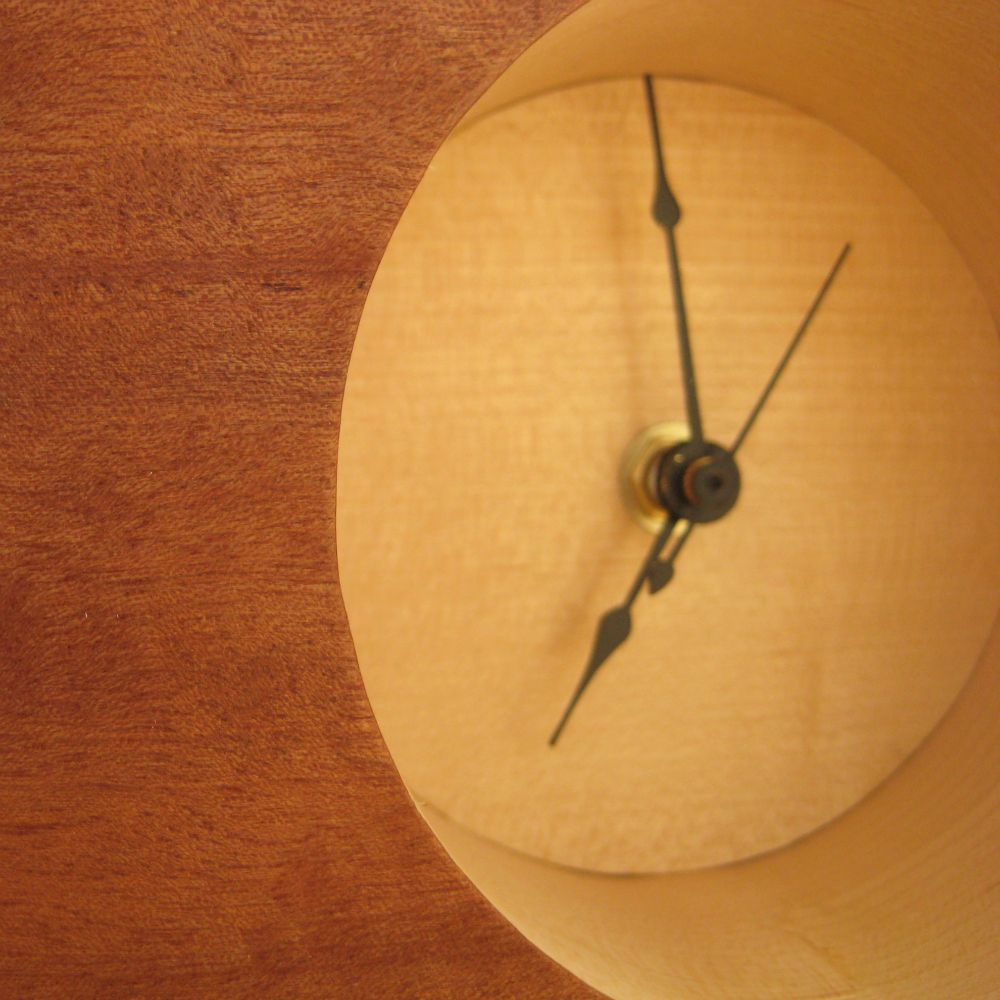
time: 6:58
